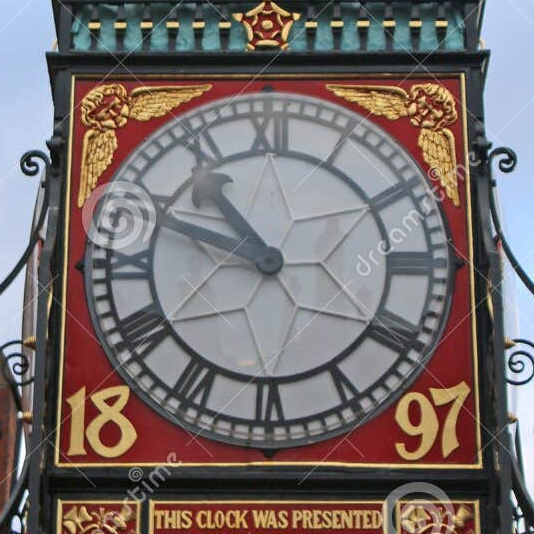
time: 10:48
